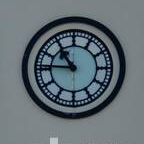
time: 10:45
